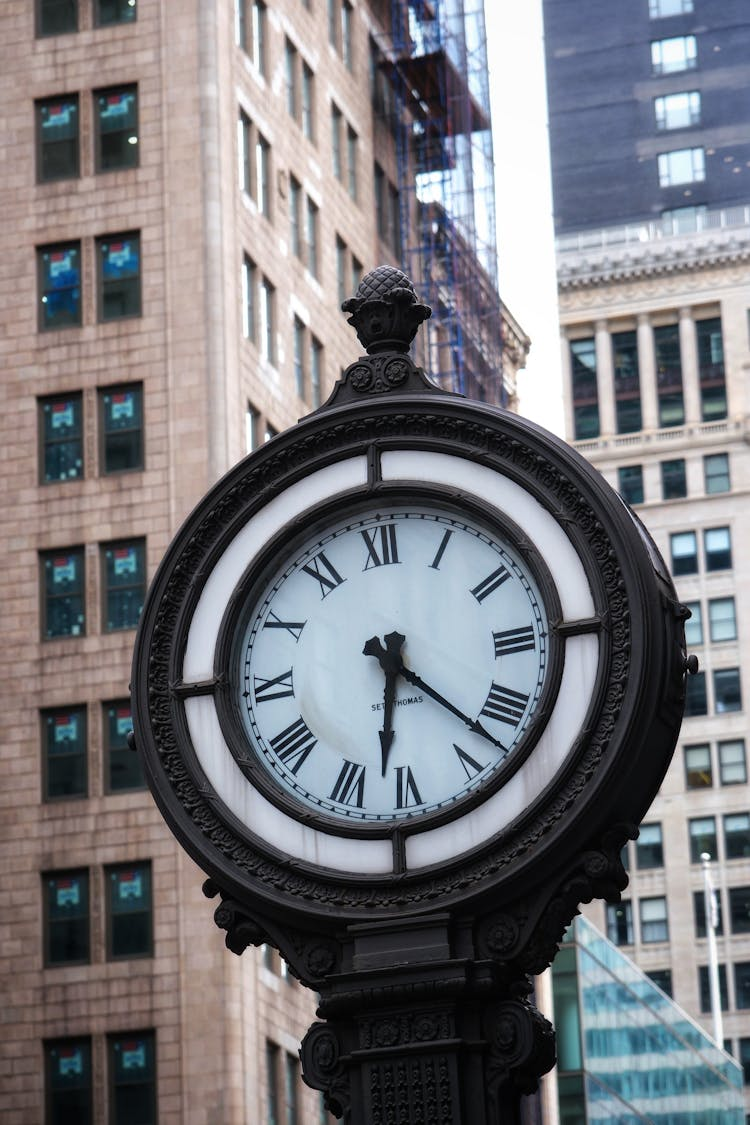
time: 6:22
